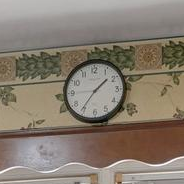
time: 1:36
